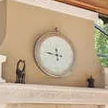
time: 11:46
